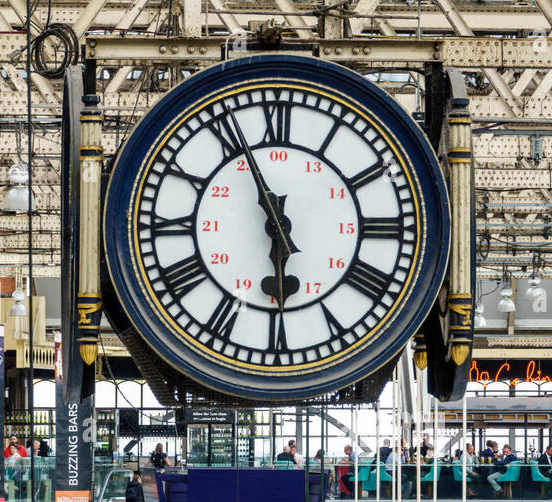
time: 5:55
